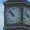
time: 10:52
